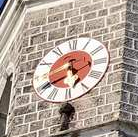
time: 5:40
